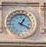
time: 4:04
